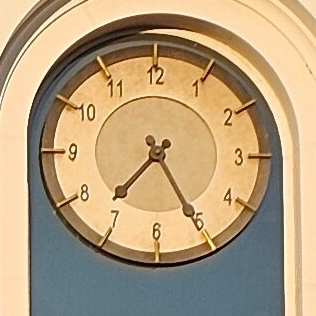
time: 7:25
